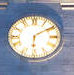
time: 6:09
